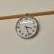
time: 3:26
